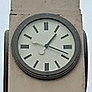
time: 1:18
